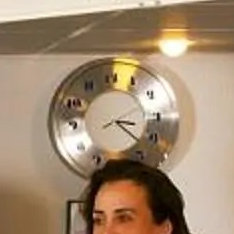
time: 3:22
